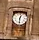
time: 12:30
